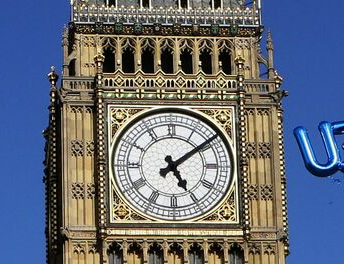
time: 5:08
